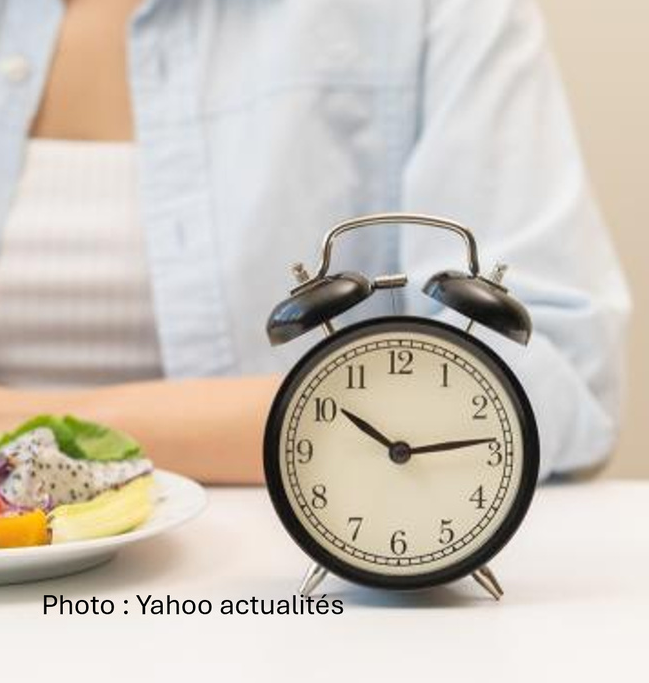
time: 10:13
